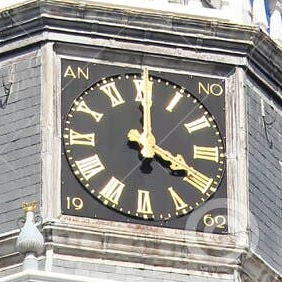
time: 4:00
